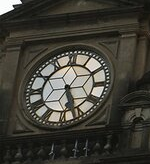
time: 5:26
